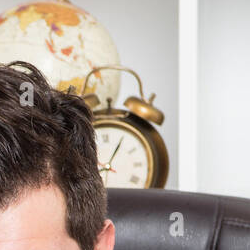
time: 1:05
